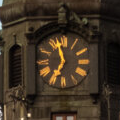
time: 11:35
